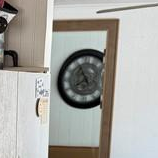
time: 7:55
